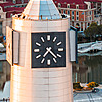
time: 7:22
